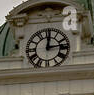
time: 12:13
